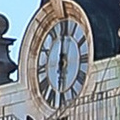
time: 6:00
